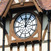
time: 12:05
